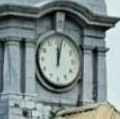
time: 12:02
